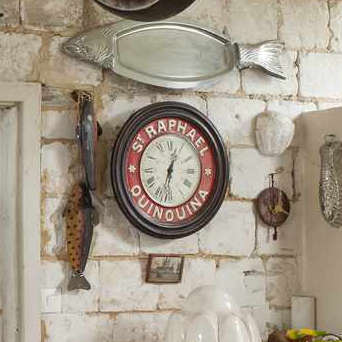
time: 12:32
